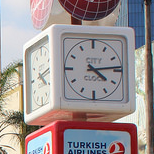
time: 4:13
